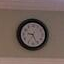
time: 9:26
